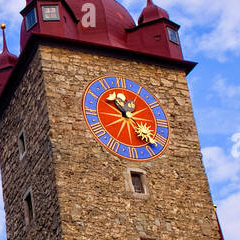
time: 10:22
